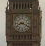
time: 8:18
